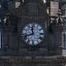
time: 11:42
